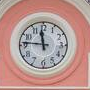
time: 11:46
